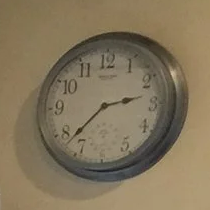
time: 2:37
